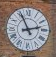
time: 11:12
